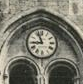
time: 8:56
